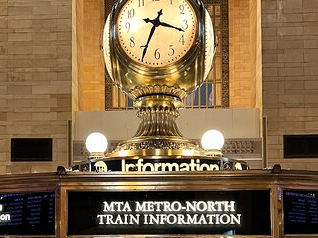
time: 3:34
